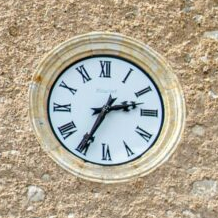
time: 2:35
